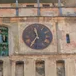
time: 11:35
